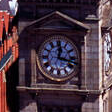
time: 12:17
